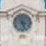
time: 3:26
